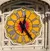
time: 12:23
